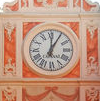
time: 12:05
